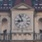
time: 8:56
